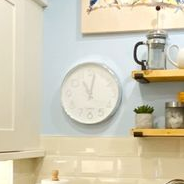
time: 11:02
